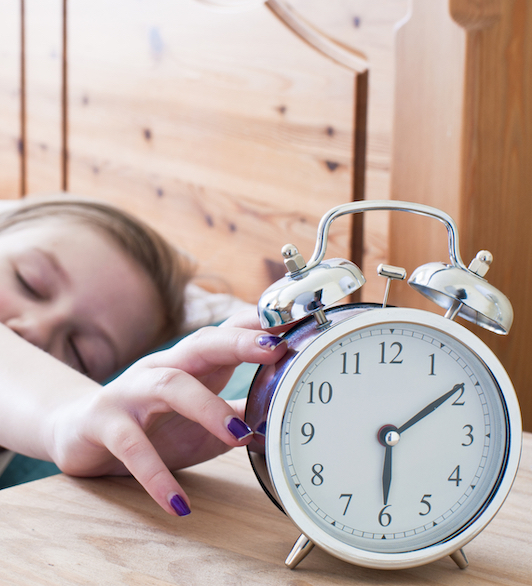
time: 6:09
